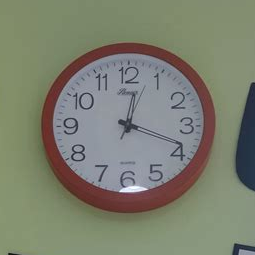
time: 12:18
